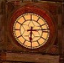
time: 6:13
